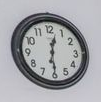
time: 12:29
